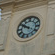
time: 9:50
